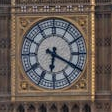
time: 6:19
